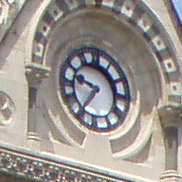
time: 9:36
